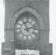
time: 11:12
